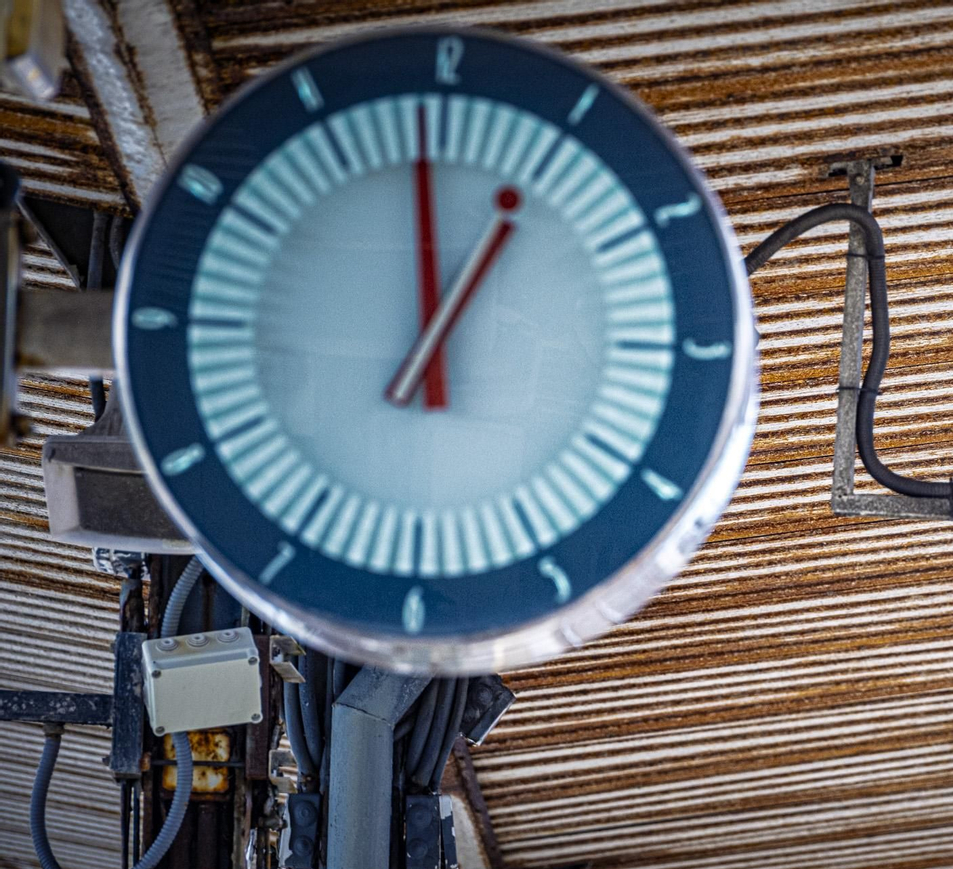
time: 12:59
